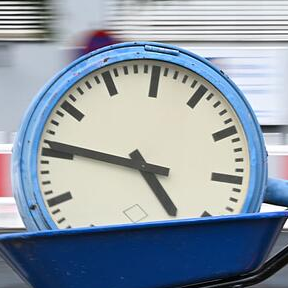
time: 4:46
